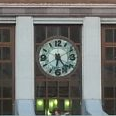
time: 6:23
